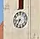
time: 8:35
